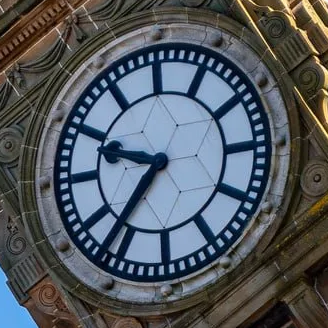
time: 9:36
